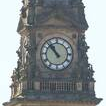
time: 10:52
